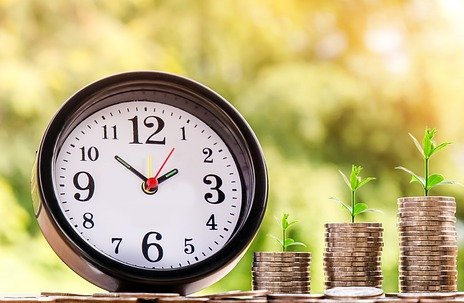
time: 1:51
